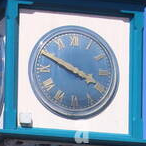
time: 3:49
